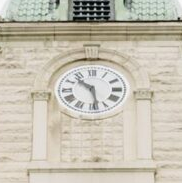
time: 10:28
